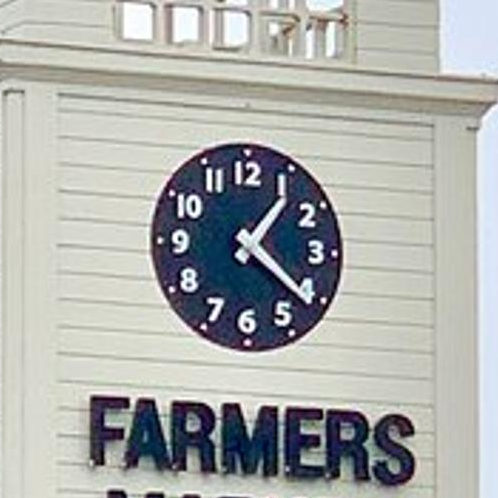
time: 1:21
